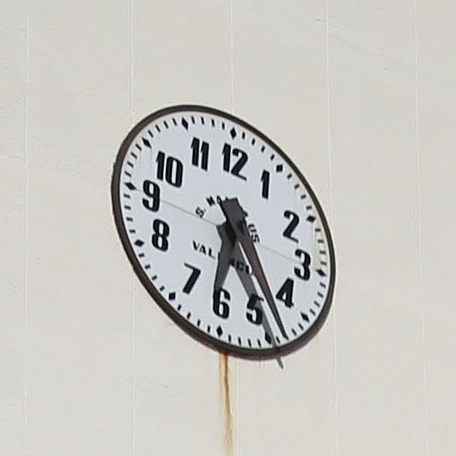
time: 6:24
